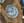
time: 12:42
